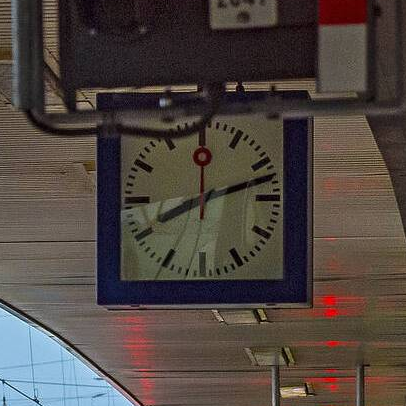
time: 8:12
